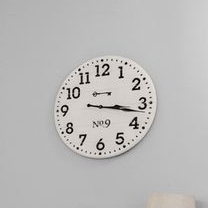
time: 3:17
